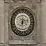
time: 6:13
